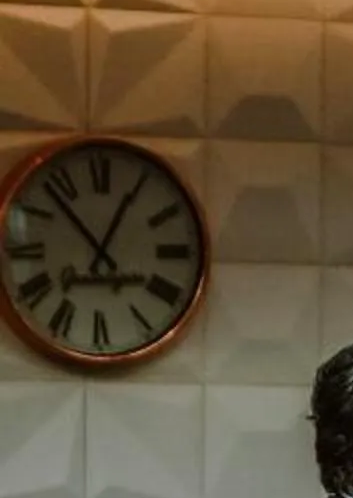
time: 12:53
